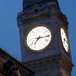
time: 7:15
